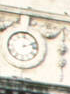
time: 2:11
